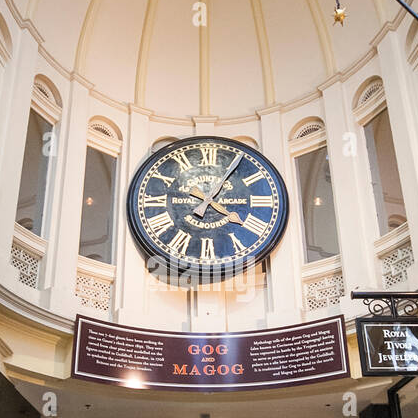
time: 4:05
